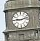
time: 9:12
